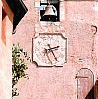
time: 2:25
